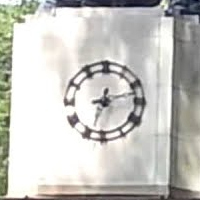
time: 2:33
